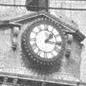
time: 1:16
